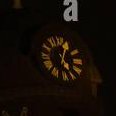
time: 5:04
